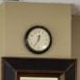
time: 12:34
